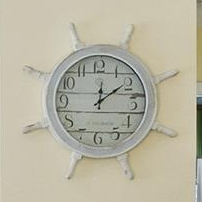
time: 12:09
